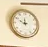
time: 11:49
